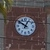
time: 12:50
